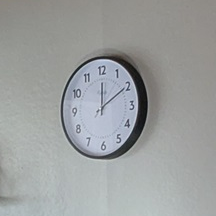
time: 12:09
